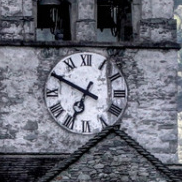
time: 6:49
